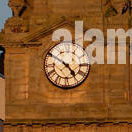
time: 4:50
